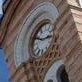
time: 2:48
